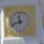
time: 11:42
